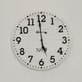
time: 4:58
